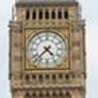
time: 4:37
